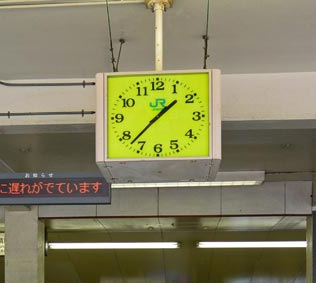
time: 1:37
